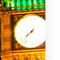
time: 7:37
